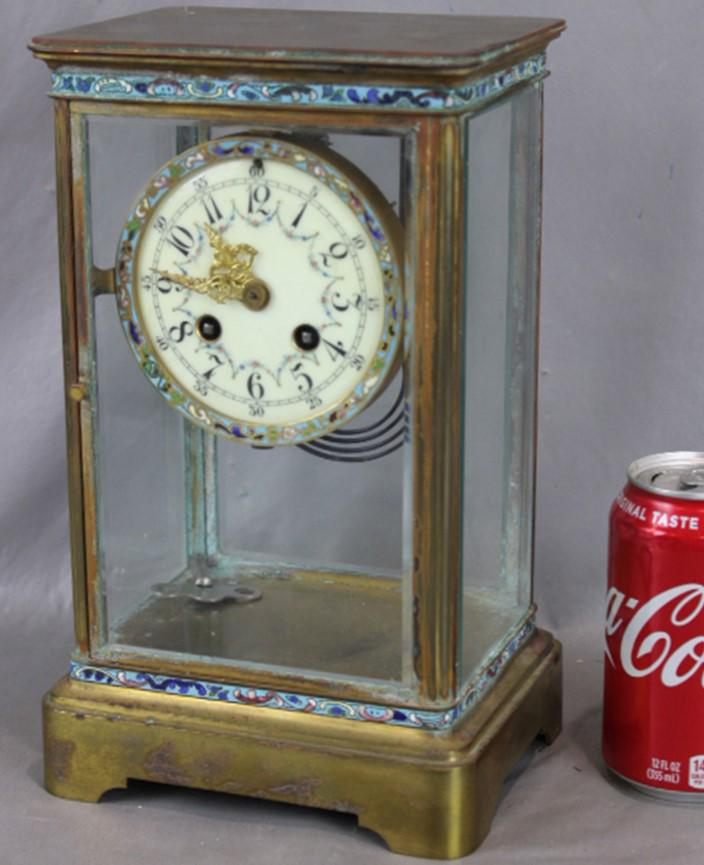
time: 10:45
